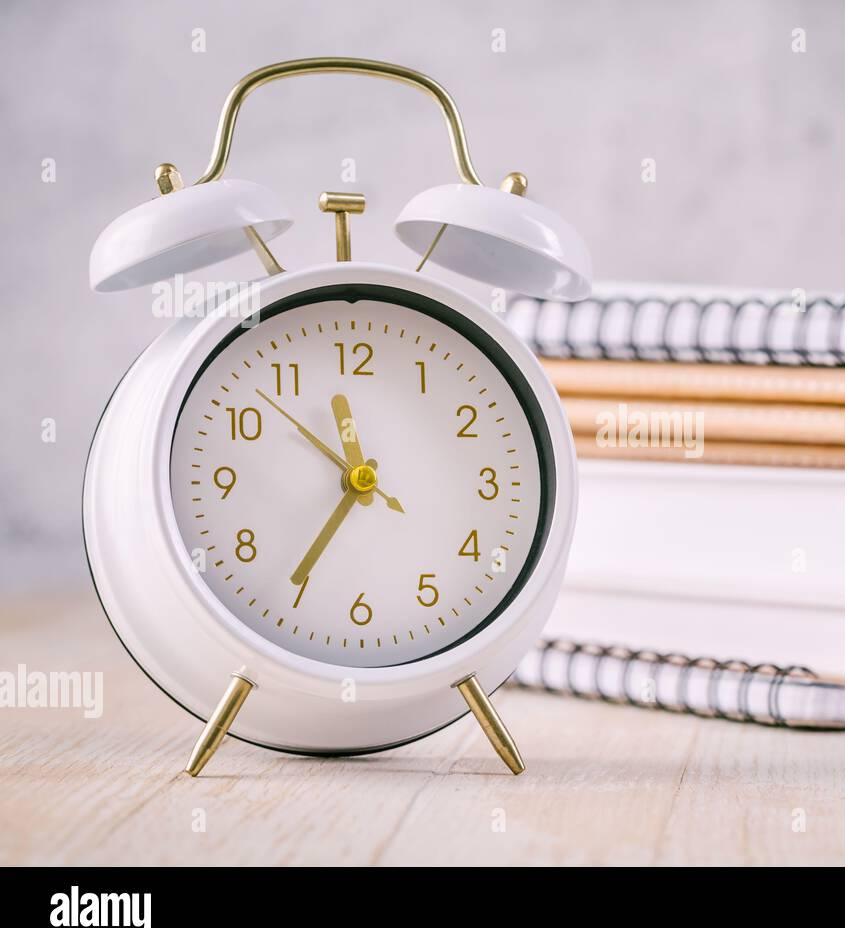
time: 11:35
